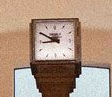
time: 8:50
